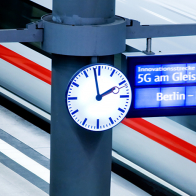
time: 1:58
